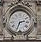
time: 2:33
